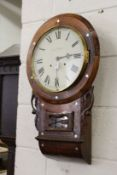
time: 3:13
